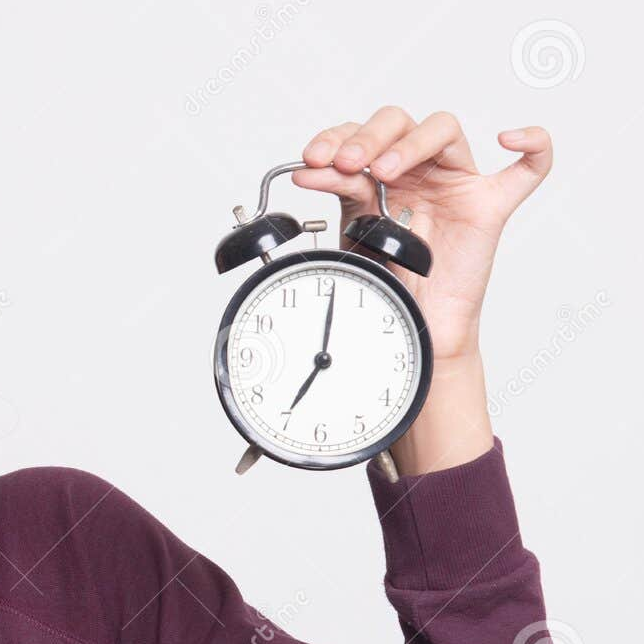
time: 7:01
